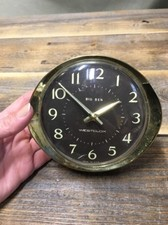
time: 1:52
